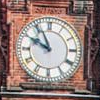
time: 9:55
